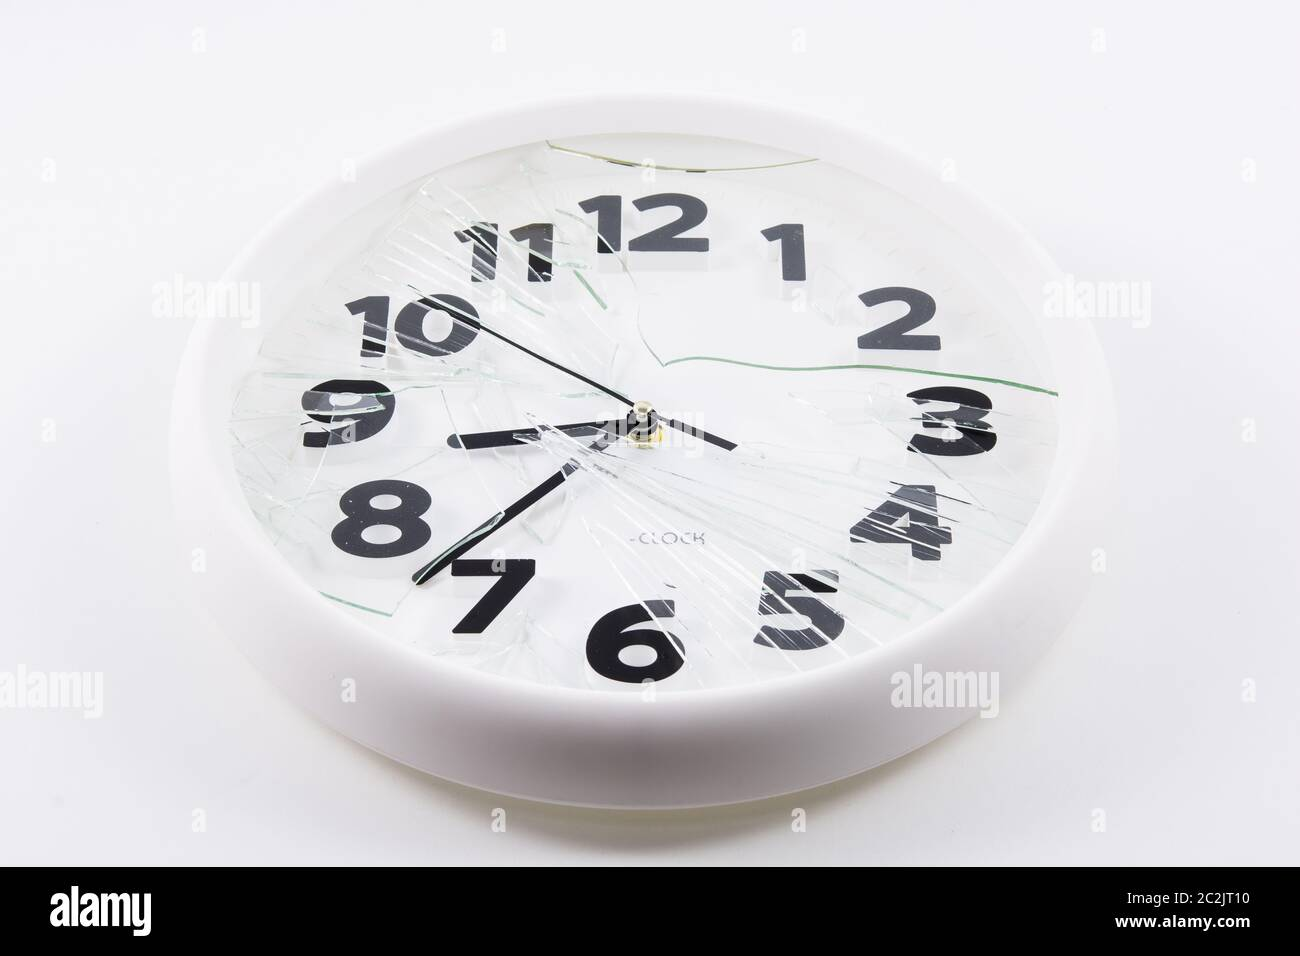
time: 8:37
